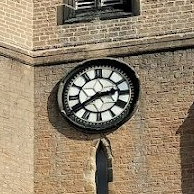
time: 2:40
